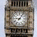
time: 9:05
